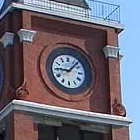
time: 9:07
